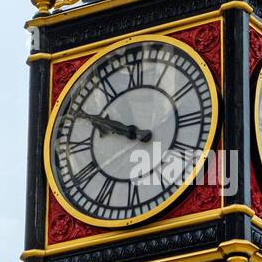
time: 9:49
